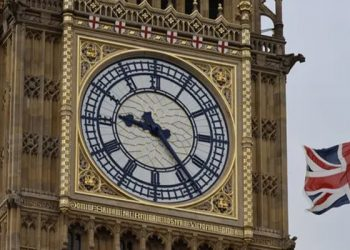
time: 9:23
